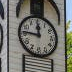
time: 11:46
